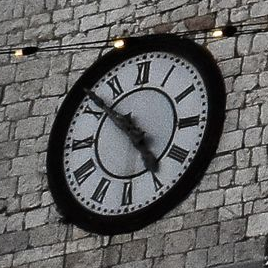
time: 4:51
